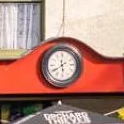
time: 5:40
